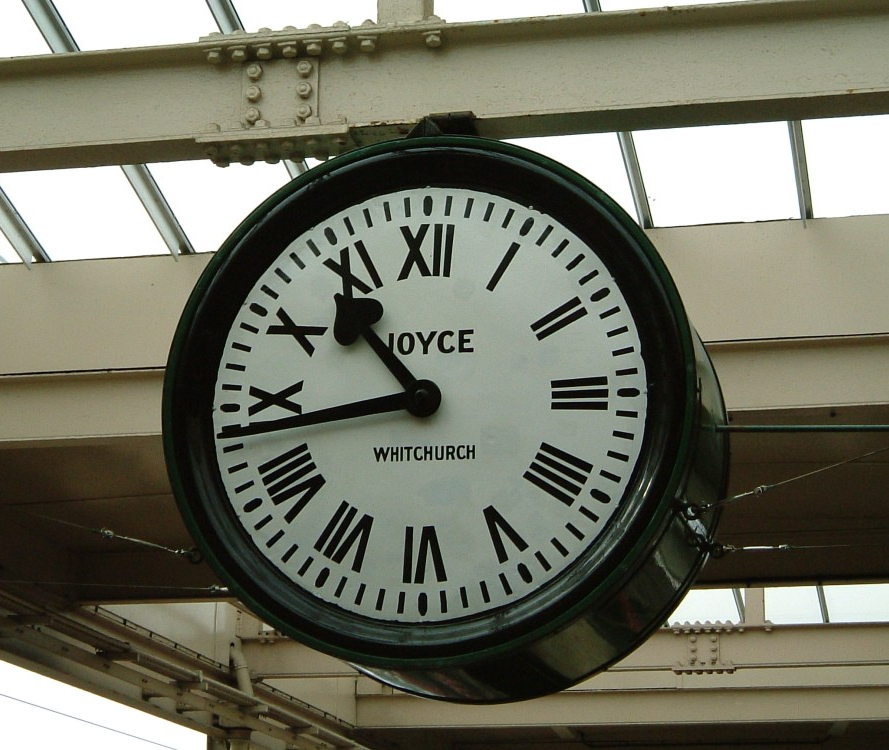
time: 10:43
